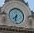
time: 7:32
